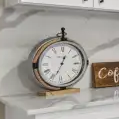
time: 12:34
